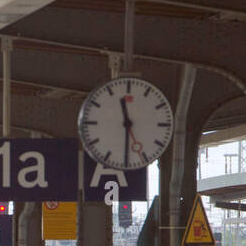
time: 11:30
